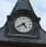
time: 4:40
